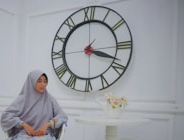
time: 3:18
